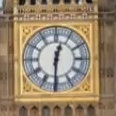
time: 12:30
